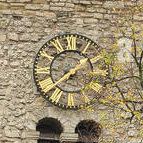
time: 7:37
